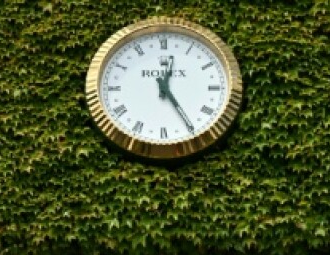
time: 12:24
